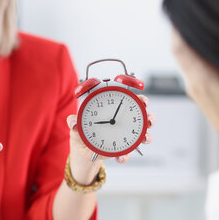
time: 9:05
